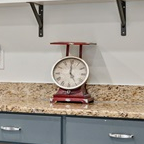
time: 5:00
